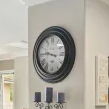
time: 9:45
